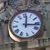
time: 12:16
